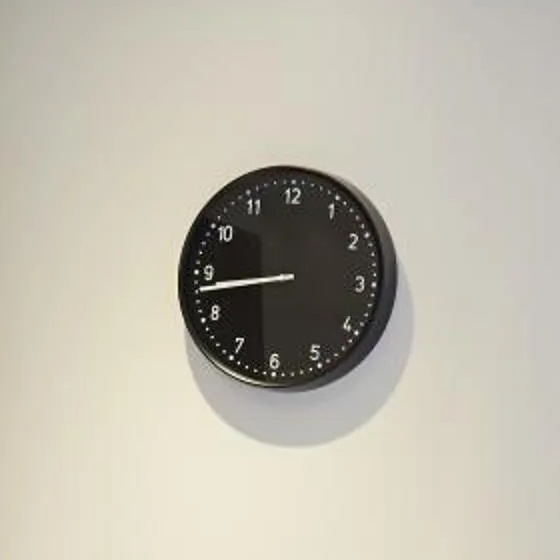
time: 8:43
